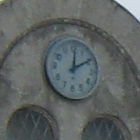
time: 12:09
